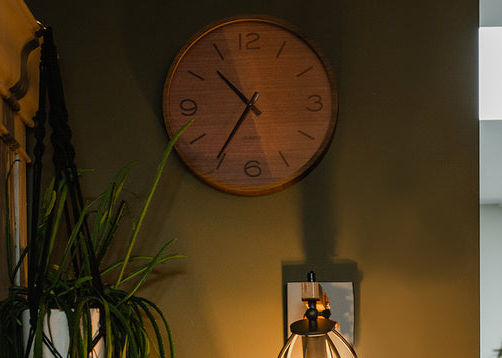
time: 10:35
